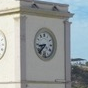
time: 8:38
